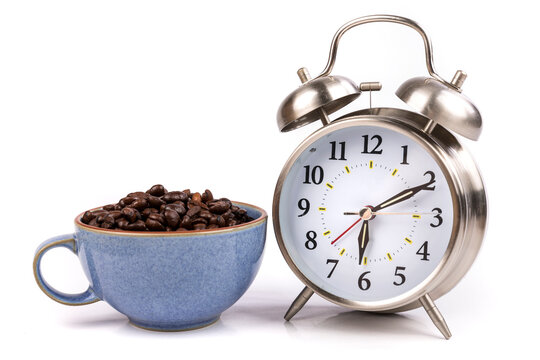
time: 6:10
